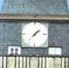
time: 1:37
